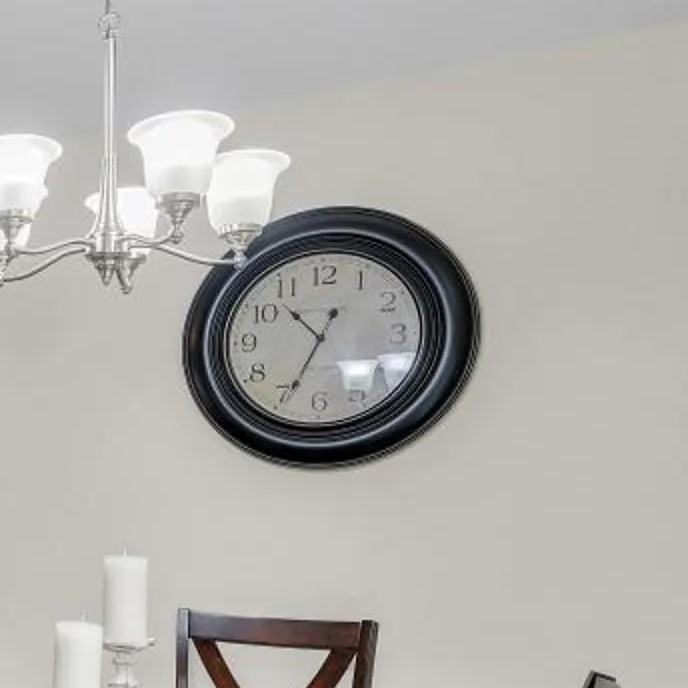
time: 10:34
